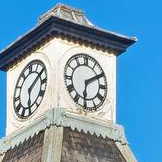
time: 6:10
